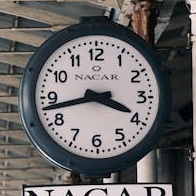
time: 3:42
